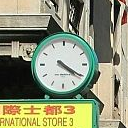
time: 4:20
